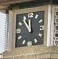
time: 11:53
